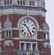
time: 10:26
